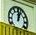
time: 12:03
